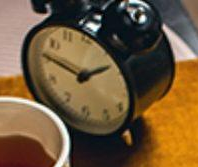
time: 1:46
